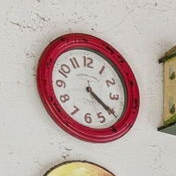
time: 4:20
